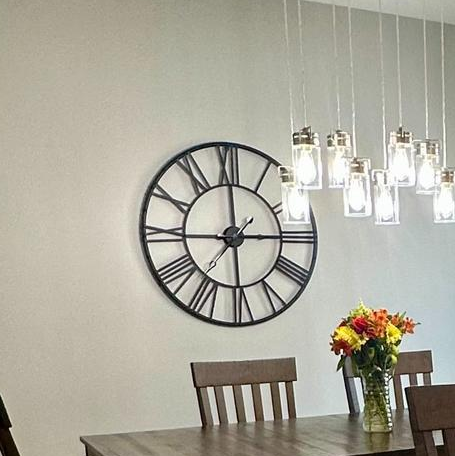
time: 2:59
